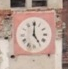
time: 5:00
